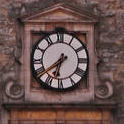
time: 6:38
